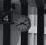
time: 3:41
